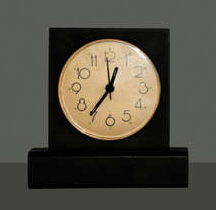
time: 12:36
